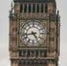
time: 4:42
